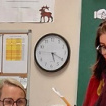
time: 5:19
